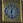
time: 12:28
